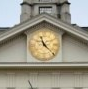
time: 11:22
